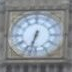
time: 6:32
